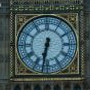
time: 6:32
